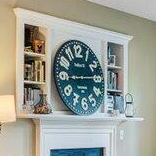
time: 9:14
